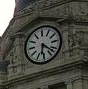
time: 6:21
